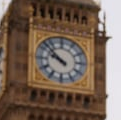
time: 9:52
